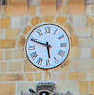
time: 5:48
